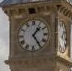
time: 1:24
